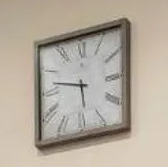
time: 5:47
